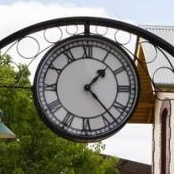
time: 1:23
